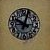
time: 10:02
